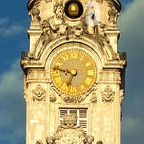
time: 6:47
